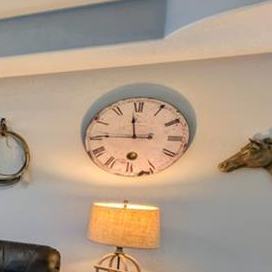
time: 11:45
